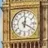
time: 12:19
